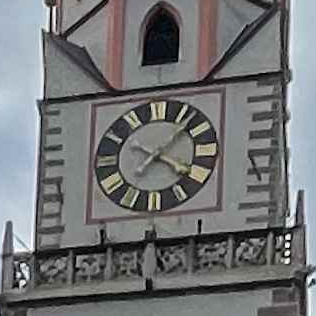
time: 4:07
